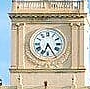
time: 6:24
